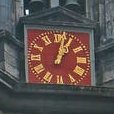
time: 1:02
